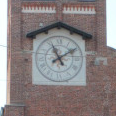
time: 11:09
